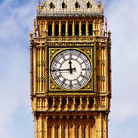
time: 11:44
